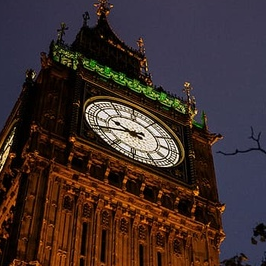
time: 9:41
